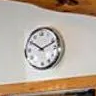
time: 10:11
